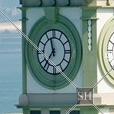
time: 11:36
